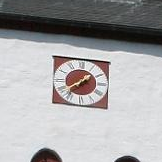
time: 1:39
